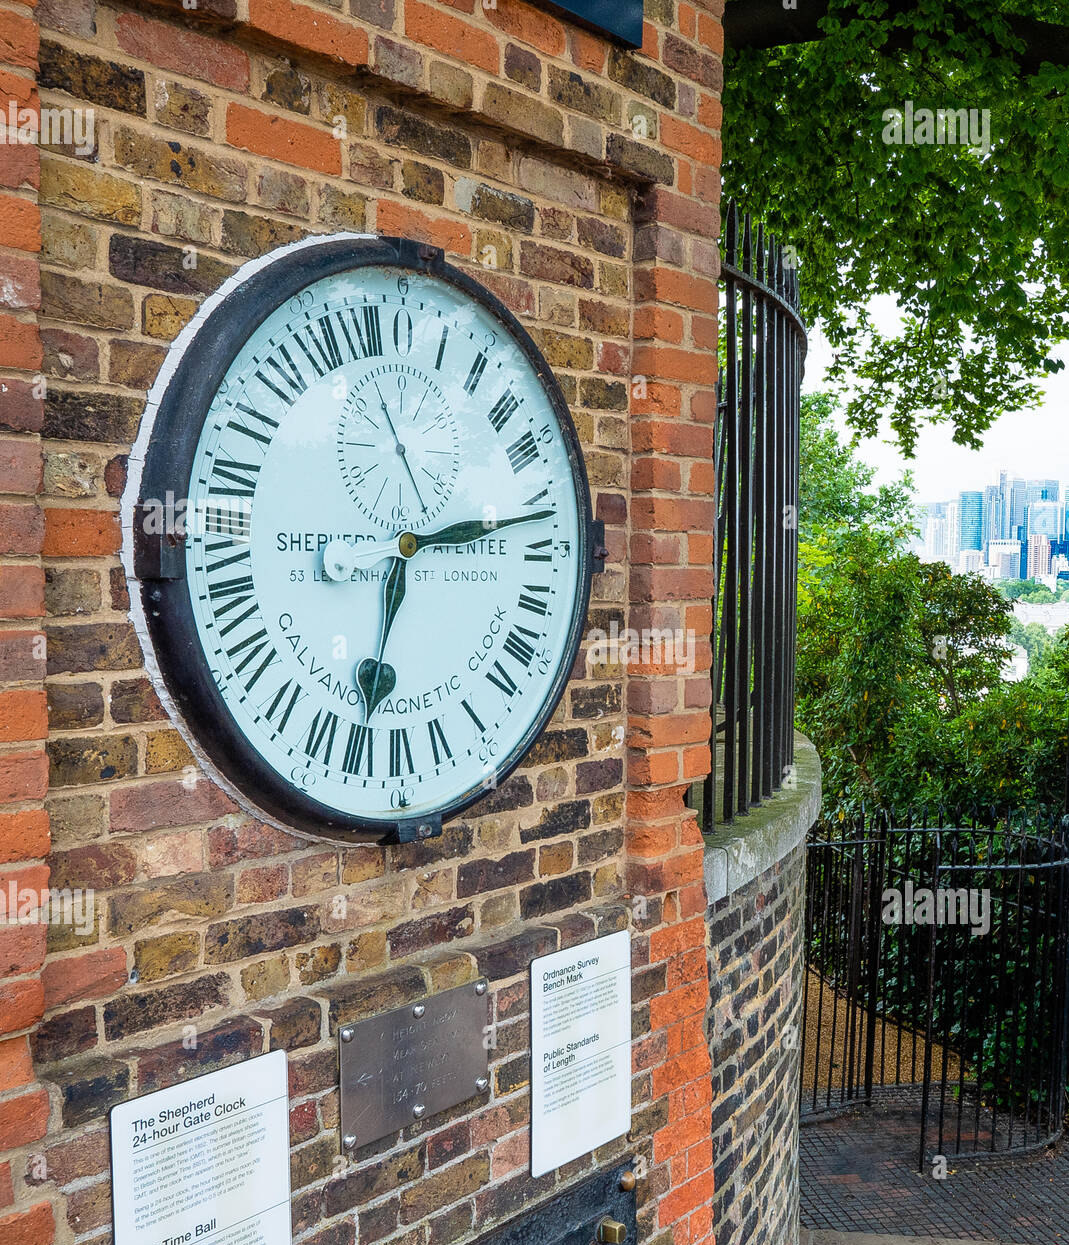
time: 2:32
